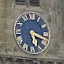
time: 5:17
